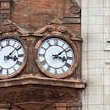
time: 3:08
